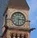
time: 6:15
